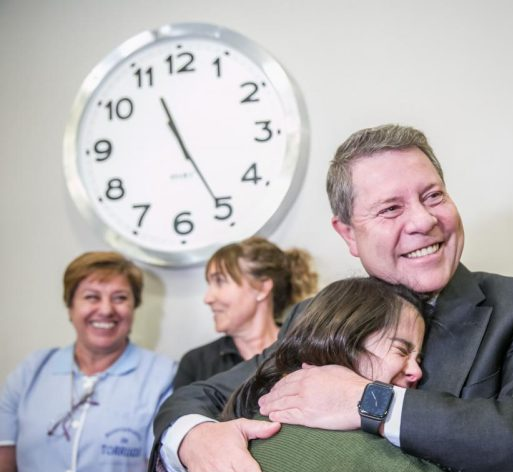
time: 11:25
